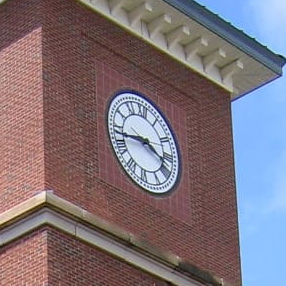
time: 3:43
